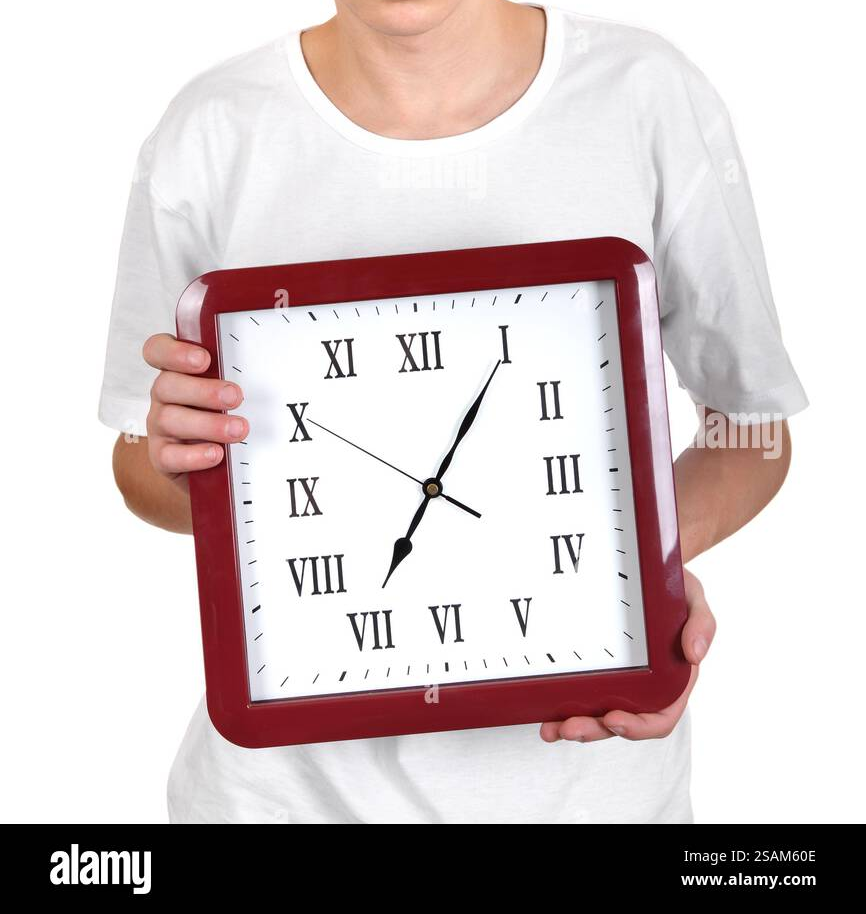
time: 7:05
